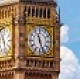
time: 11:26
